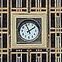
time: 1:56
